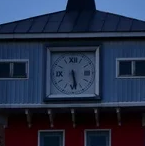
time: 5:28
